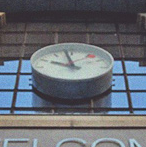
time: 9:57
